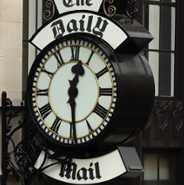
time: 12:29
